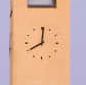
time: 8:00
